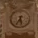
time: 5:35
